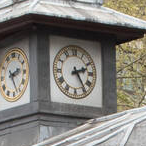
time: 2:24
